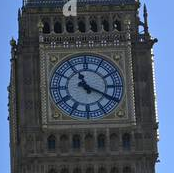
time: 11:19
